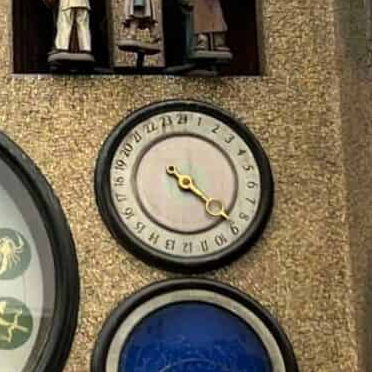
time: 4:22
